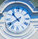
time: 10:39
